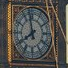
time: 7:58
